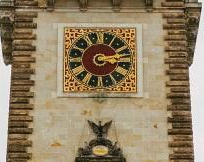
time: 3:12
